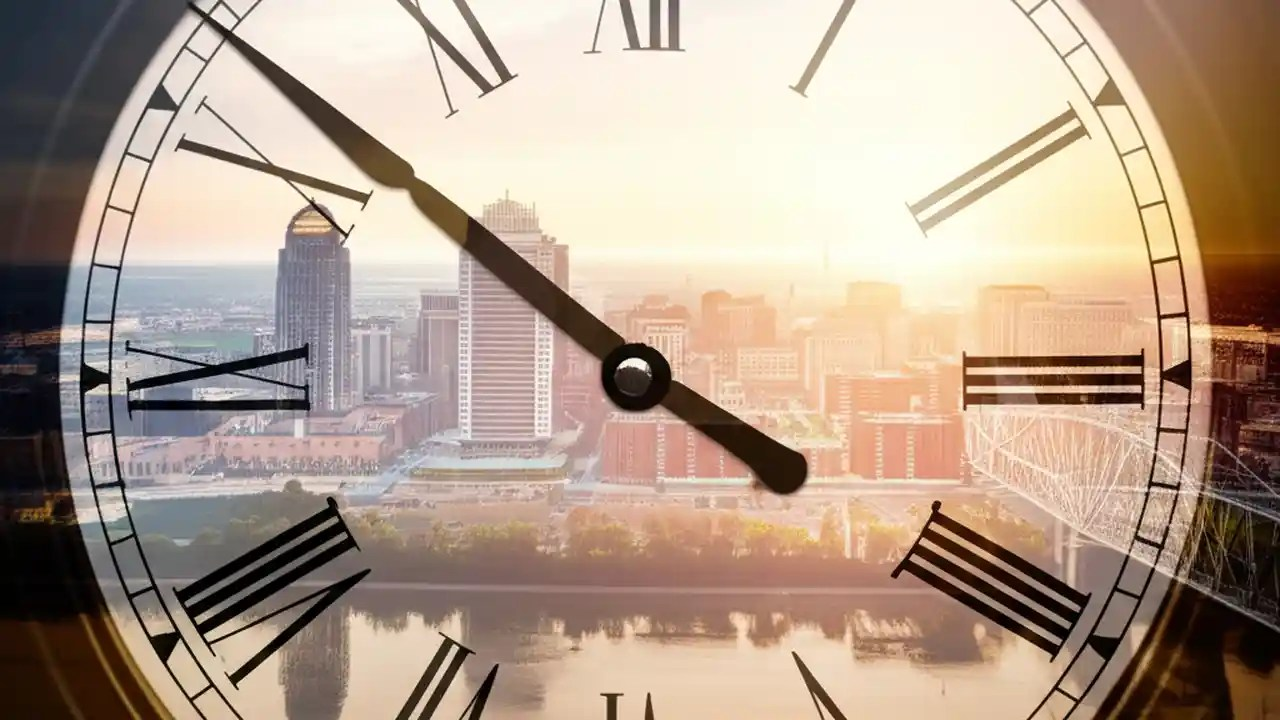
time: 3:51
